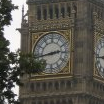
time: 2:43
